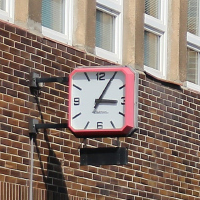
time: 3:04
